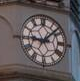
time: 9:08
